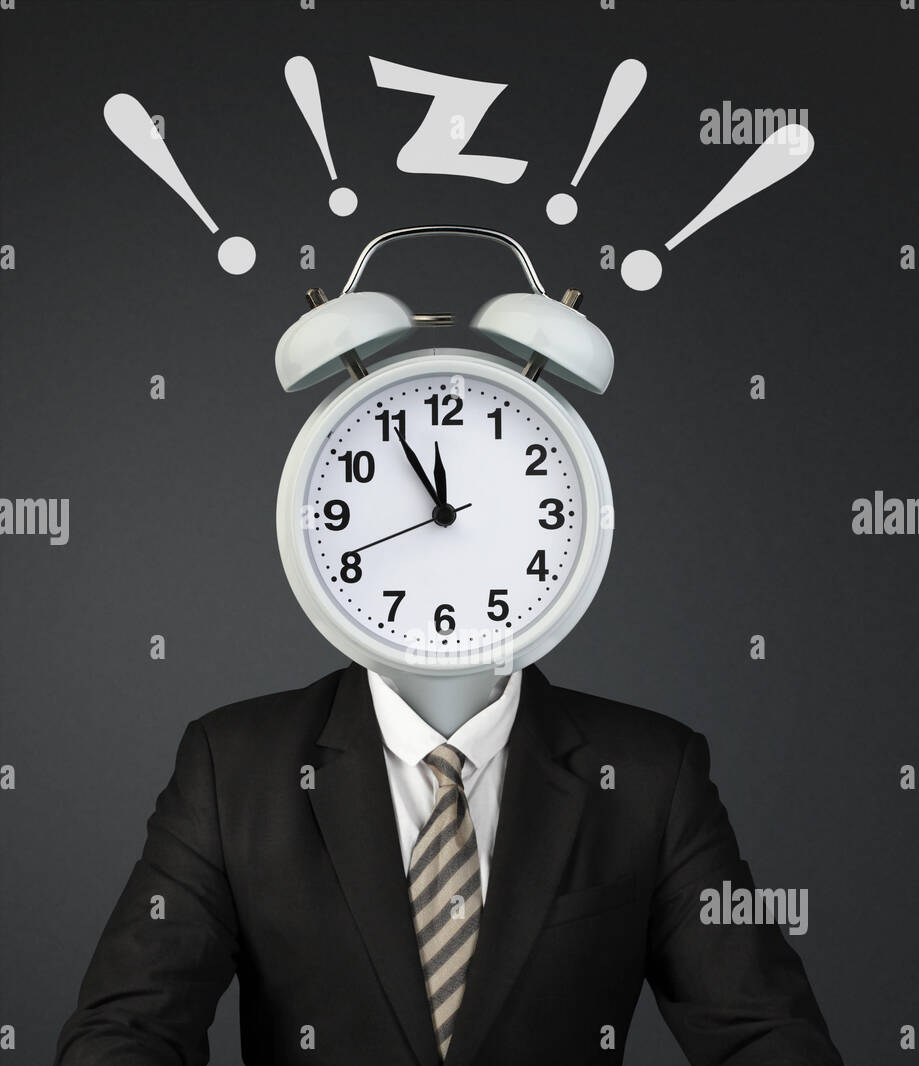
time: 11:55
